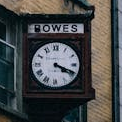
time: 4:19
